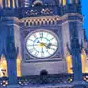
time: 4:16
